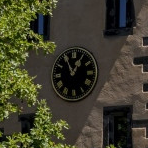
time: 12:55
